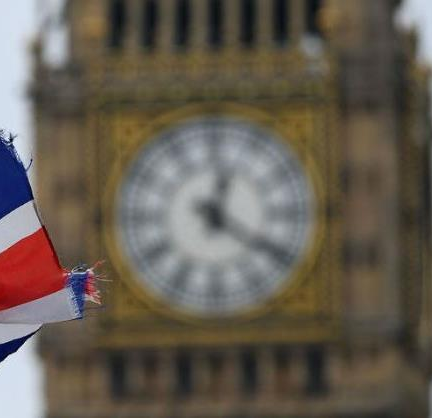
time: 12:21
